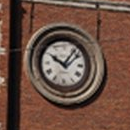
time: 10:07
